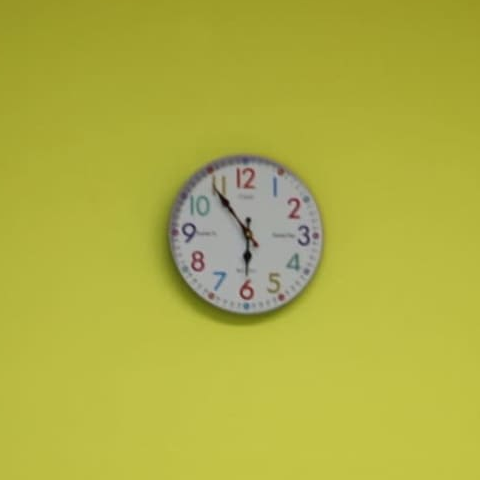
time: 5:54
